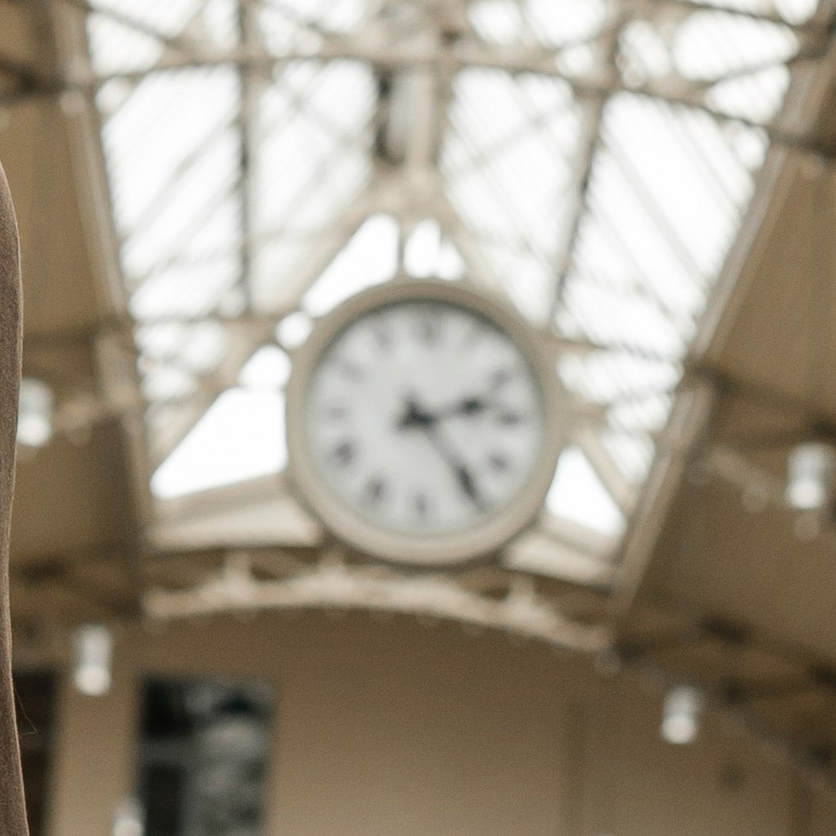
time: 2:23
